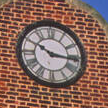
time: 10:16
